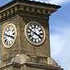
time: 3:48
